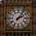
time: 2:06
